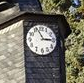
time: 2:56
